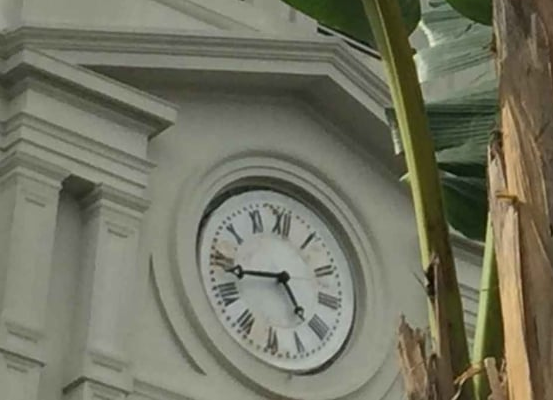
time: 4:42
